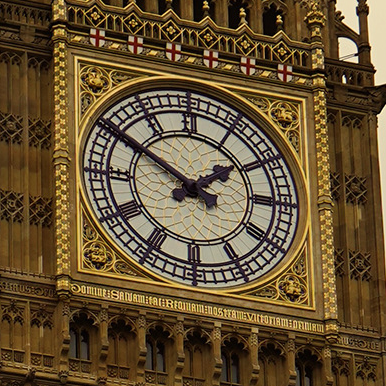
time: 1:50
